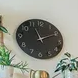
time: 11:09
